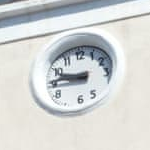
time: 9:45
